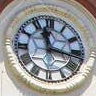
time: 11:16
